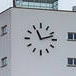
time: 11:12
